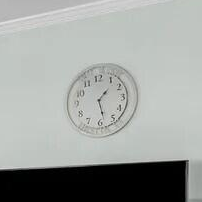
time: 1:28
